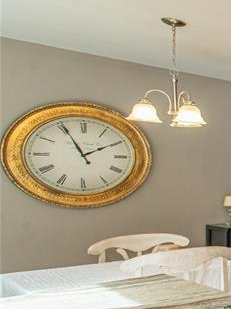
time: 1:55
